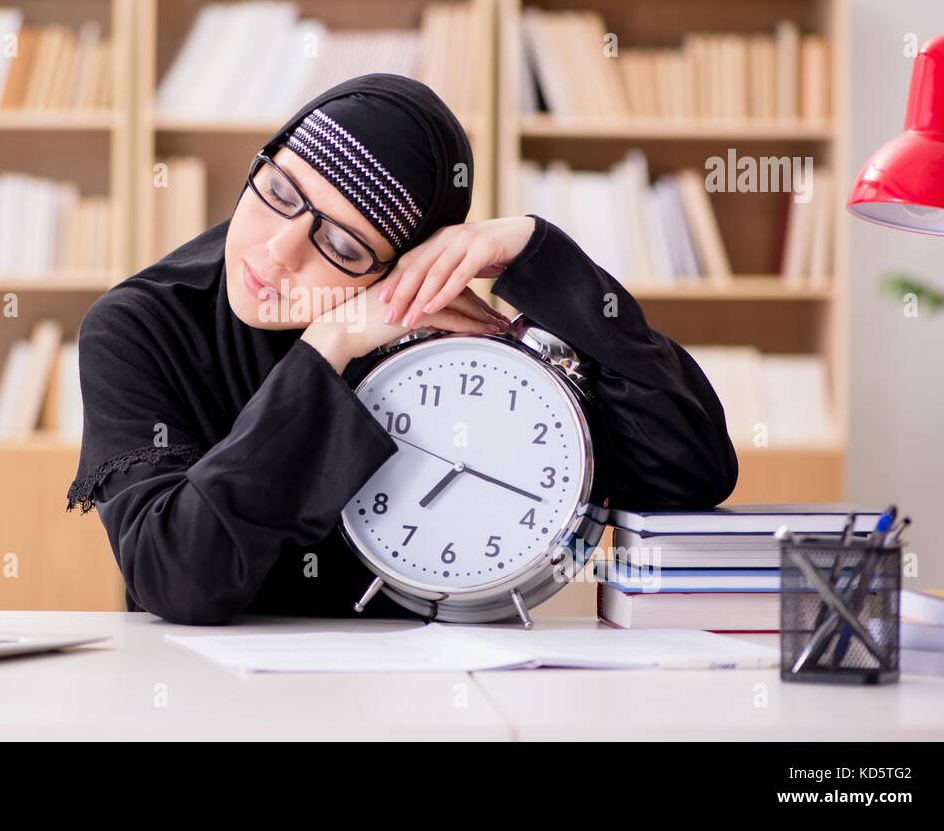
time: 7:17
